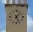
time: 1:25
